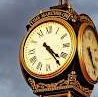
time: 4:23
